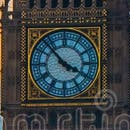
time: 3:52
